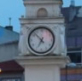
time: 6:52
